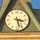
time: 3:27
